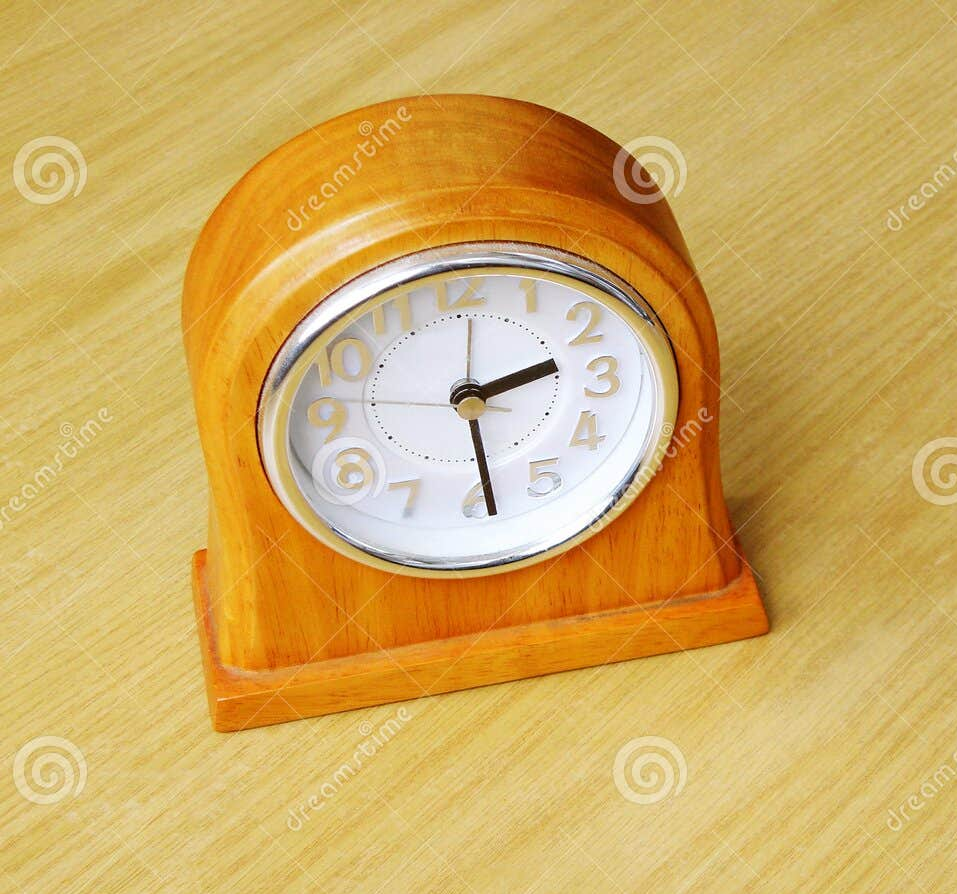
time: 2:29
